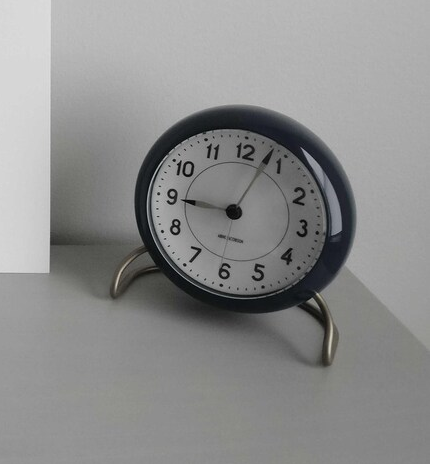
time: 9:03
